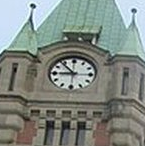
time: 8:53
